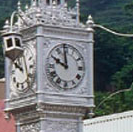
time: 9:59
